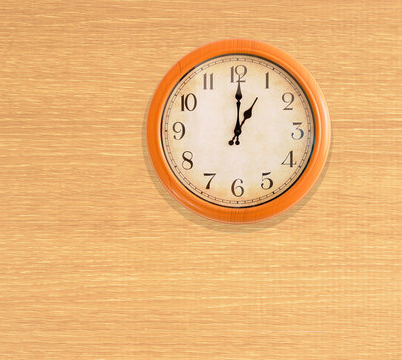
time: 1:00
